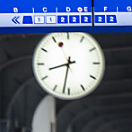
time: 8:31
